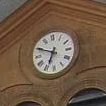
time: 6:49
